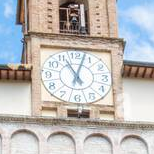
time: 11:02
